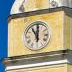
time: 11:00
